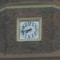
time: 7:43
